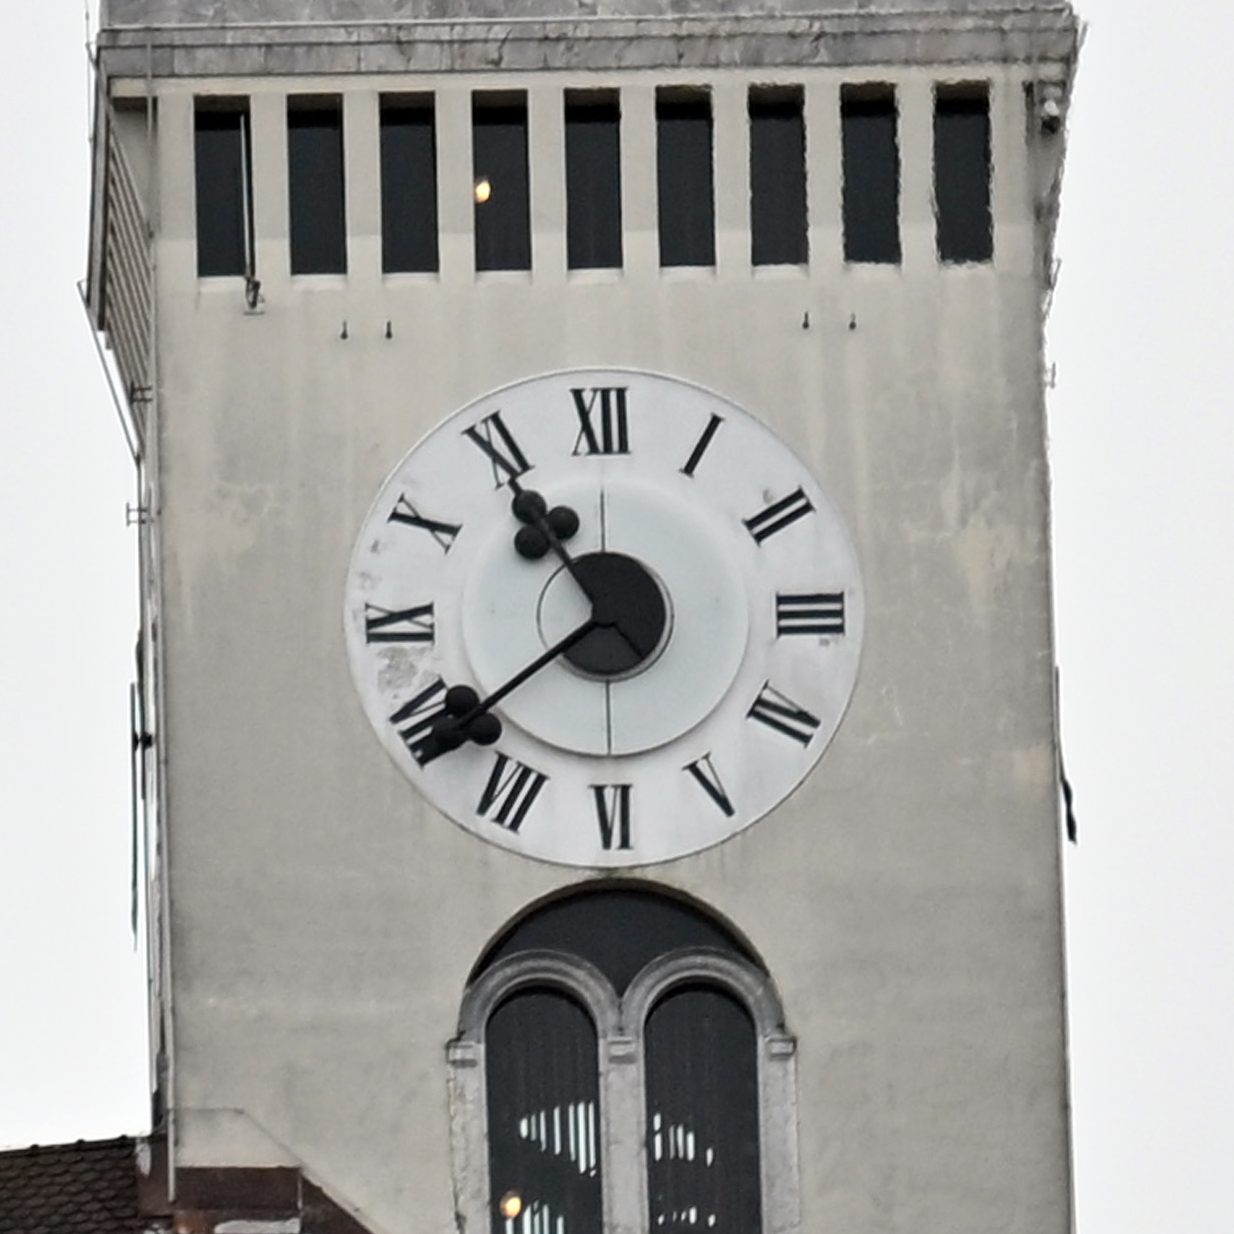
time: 10:39
